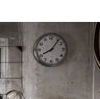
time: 8:06
